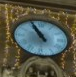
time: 10:55
